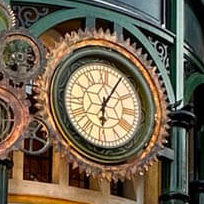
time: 6:06
